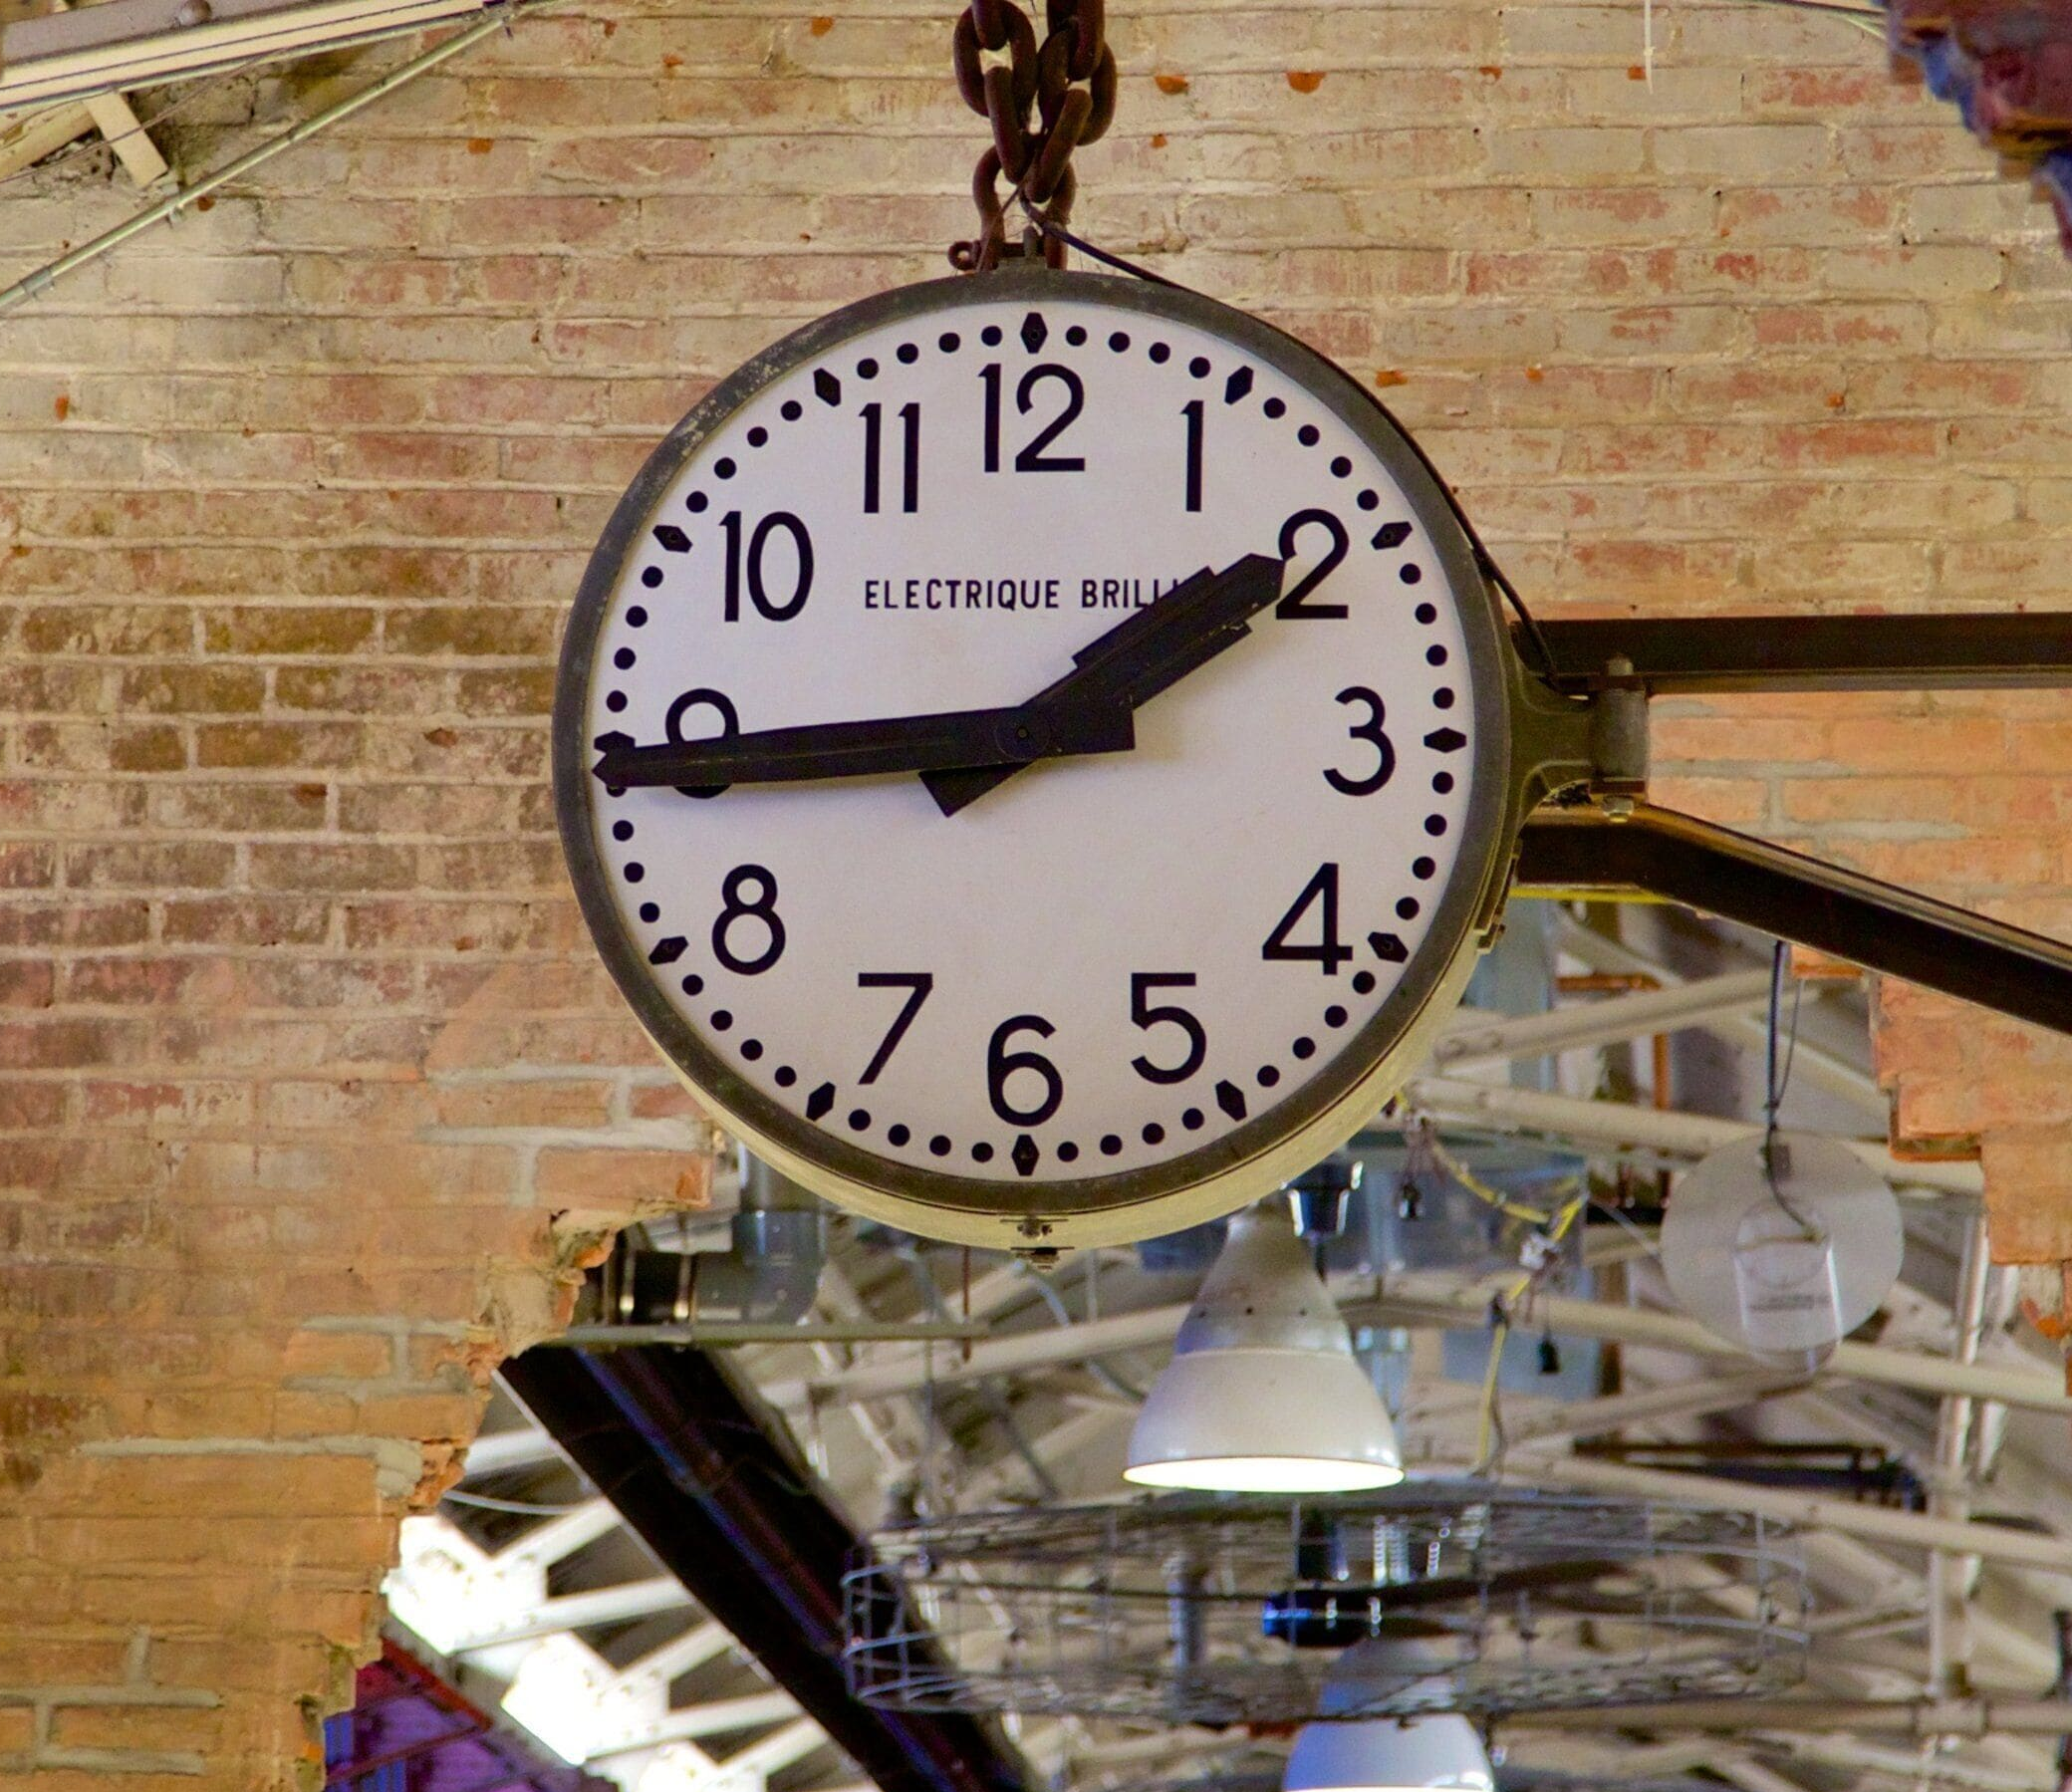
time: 1:44
